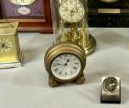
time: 12:46
